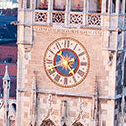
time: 2:24
